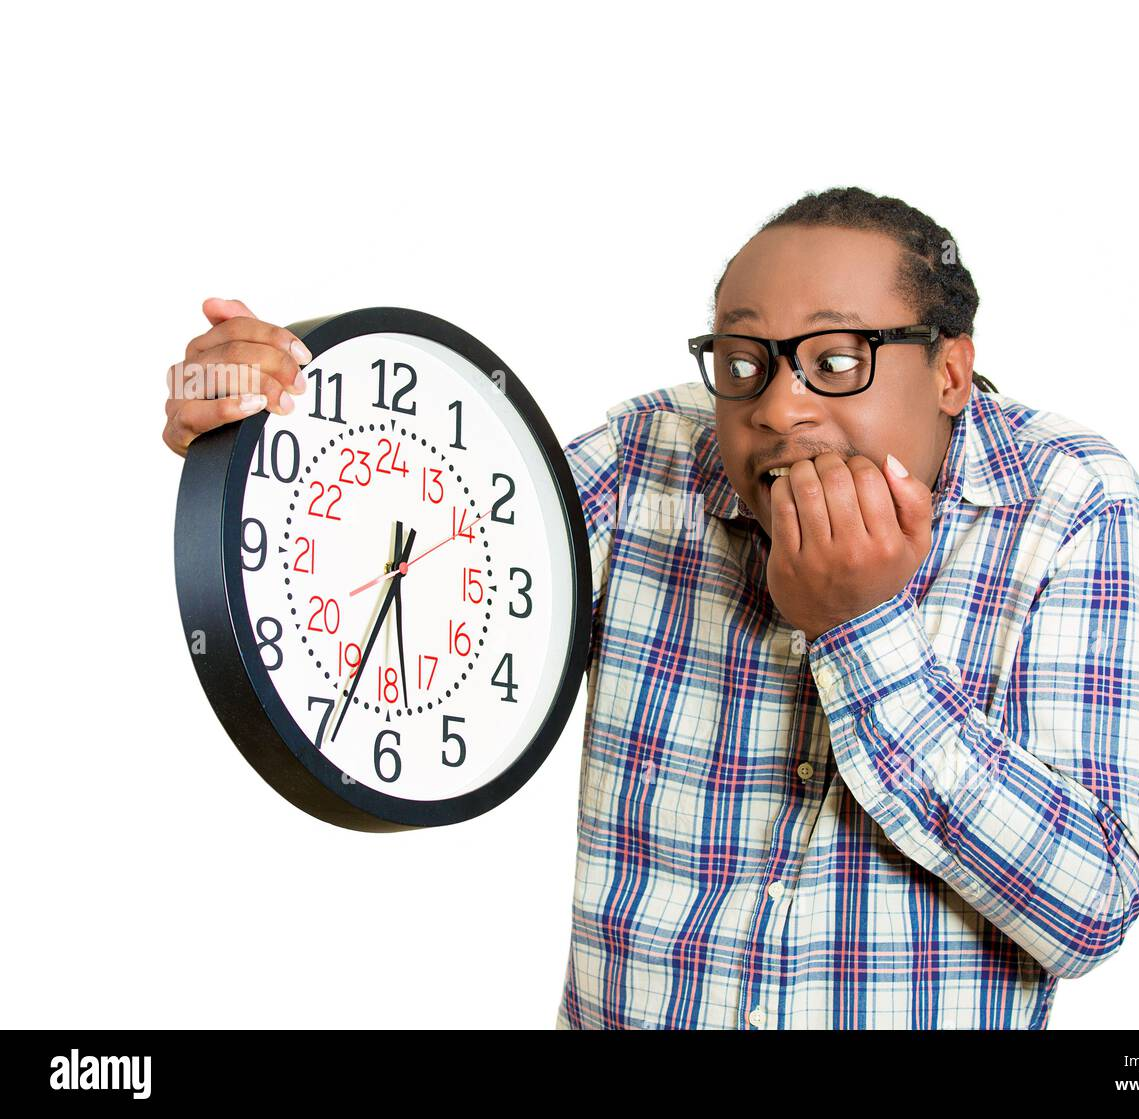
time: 5:33
